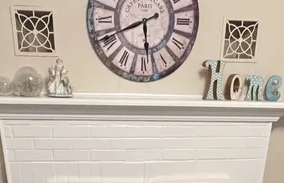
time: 5:41
